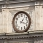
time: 1:18
